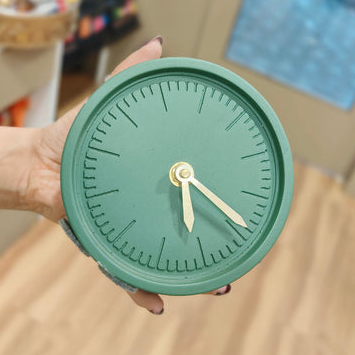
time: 5:19
